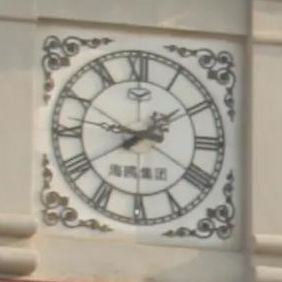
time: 1:46
